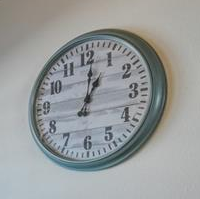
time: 1:01
